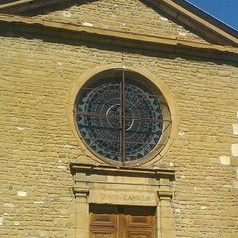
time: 5:59
